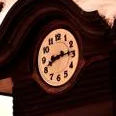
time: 8:14
